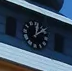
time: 12:09
